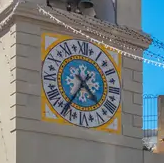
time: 4:35
